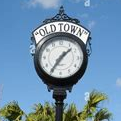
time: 1:35
